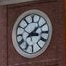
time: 3:09
